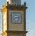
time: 8:12
